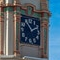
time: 1:54
